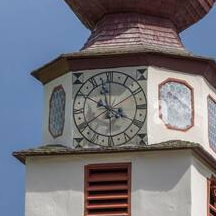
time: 3:58
